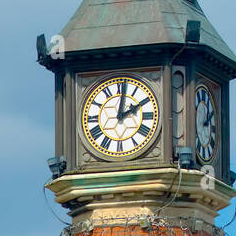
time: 2:01
